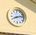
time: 8:12
